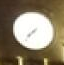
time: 7:37
